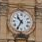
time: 10:35
